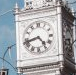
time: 4:42
